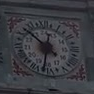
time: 10:32
